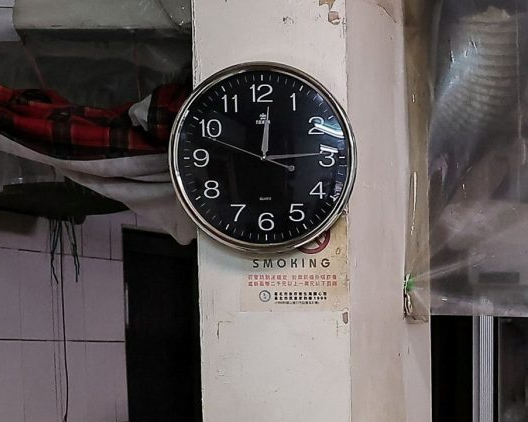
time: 12:14
